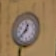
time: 12:37
